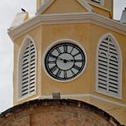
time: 2:48
